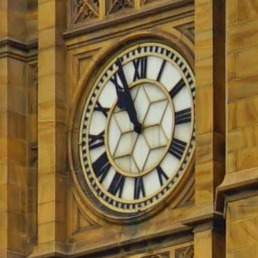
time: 10:56
